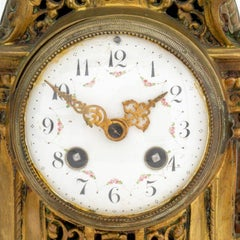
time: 1:50
